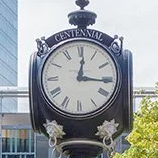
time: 12:16
